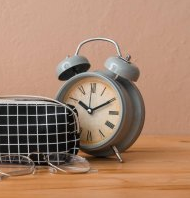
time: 10:10
